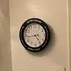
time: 4:43
